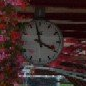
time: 3:58
